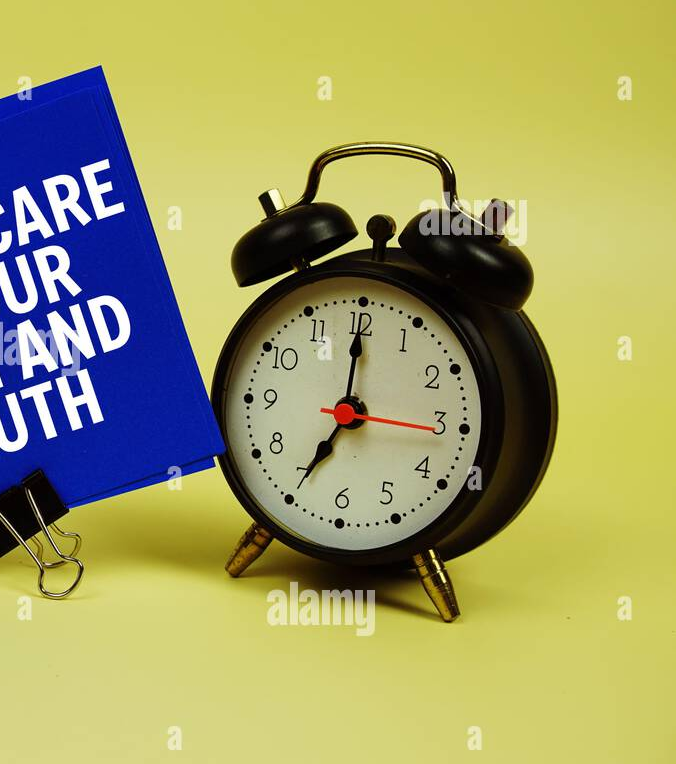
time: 7:00
